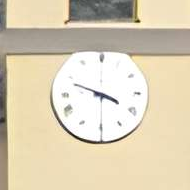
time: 3:48
